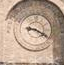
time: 9:20
